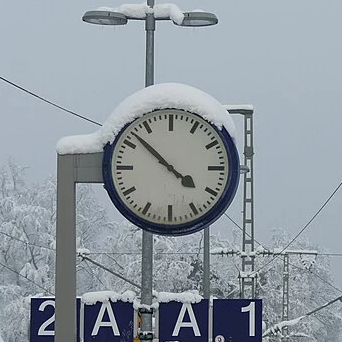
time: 3:52
